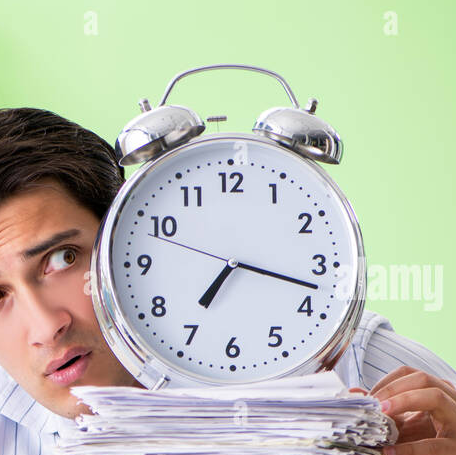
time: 7:17
